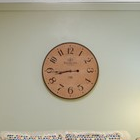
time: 8:43
